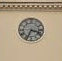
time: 3:34
